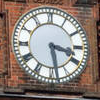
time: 3:28
